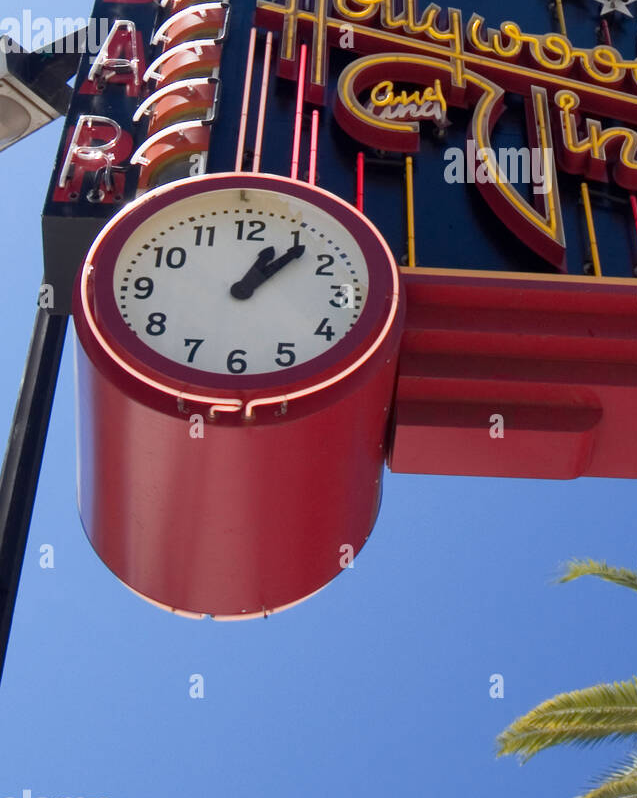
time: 1:07
